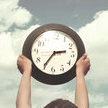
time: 2:35
